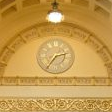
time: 2:35
